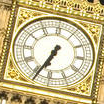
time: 6:34
